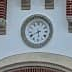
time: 5:40
